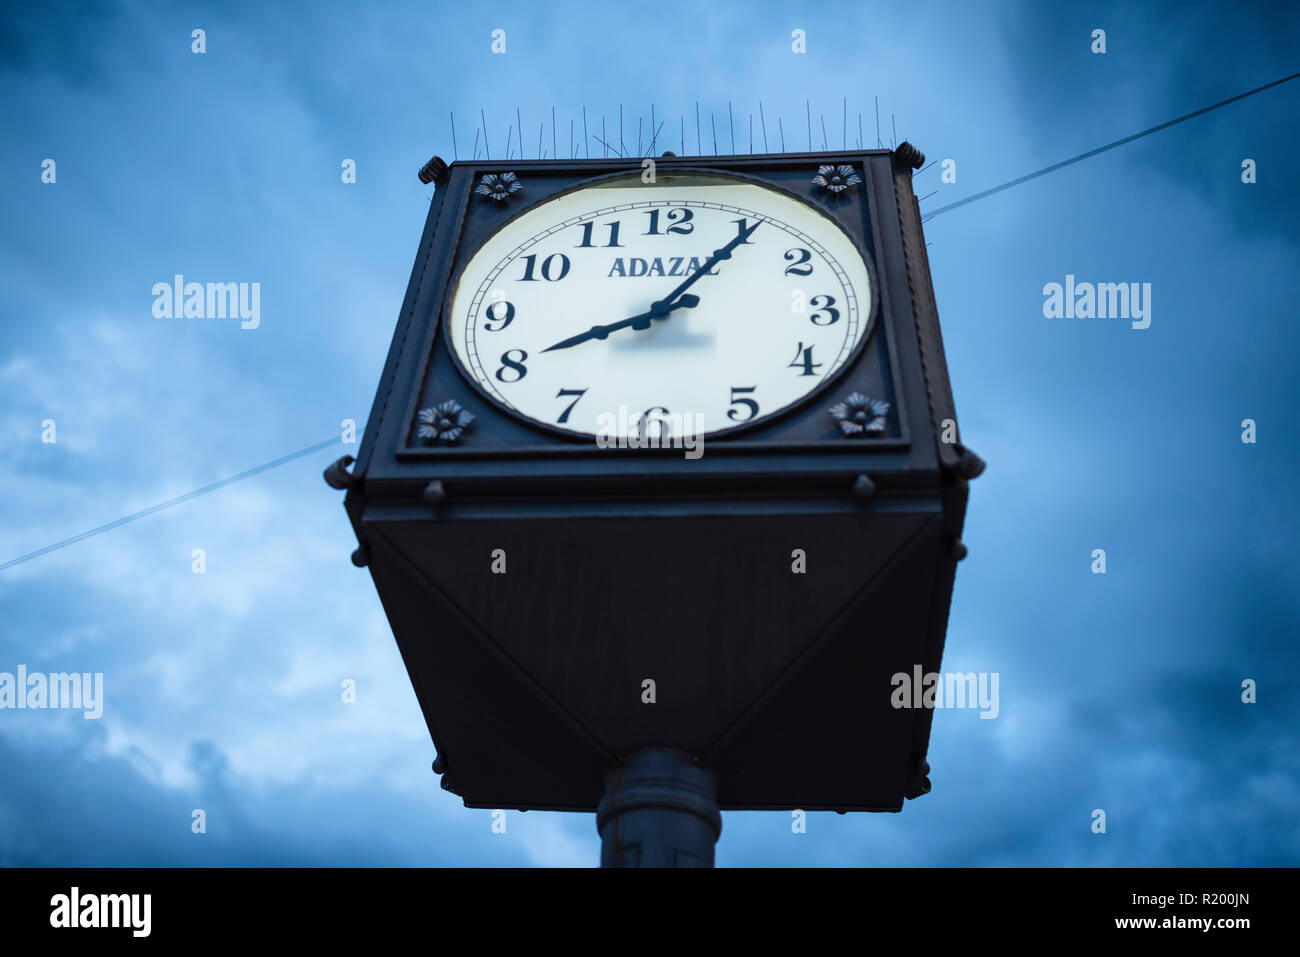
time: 8:06
